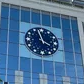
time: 3:57
